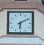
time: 6:09
